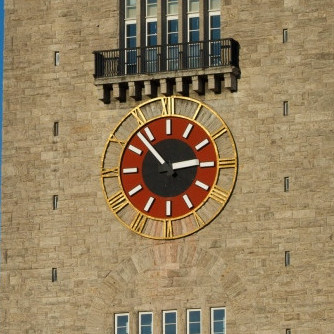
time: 2:53
